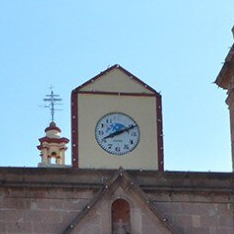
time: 8:11
